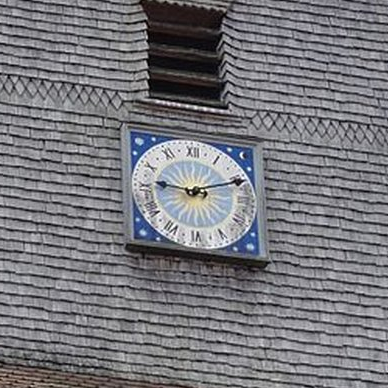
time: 9:11
